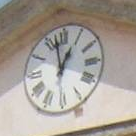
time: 12:57
